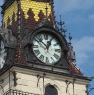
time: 12:52
